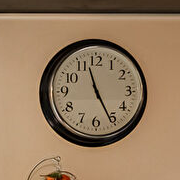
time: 11:25
